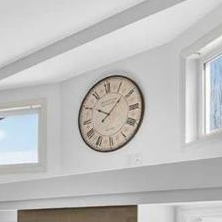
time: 10:08
